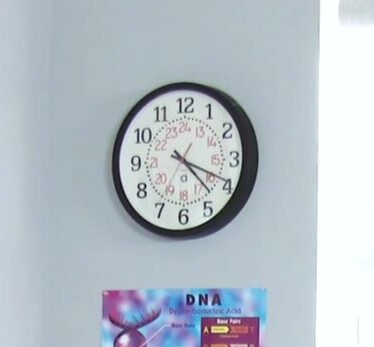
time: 4:18
